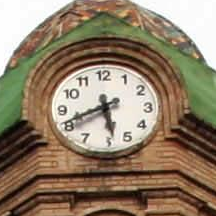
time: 5:41
